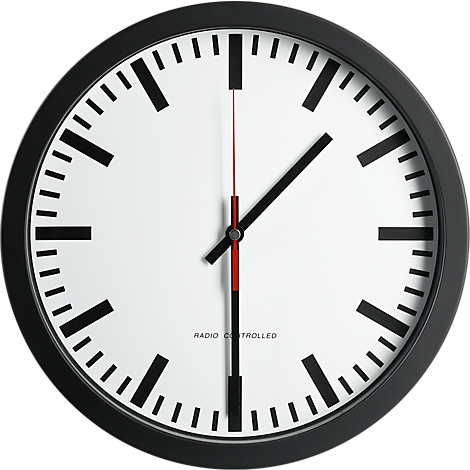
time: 1:30
